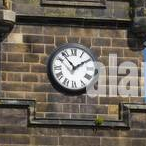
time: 1:53
